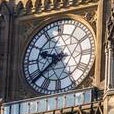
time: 9:38
